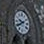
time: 9:40
